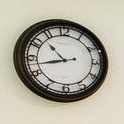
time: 10:42
